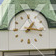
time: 1:16
